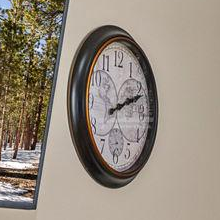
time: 2:11
